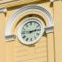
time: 2:46
